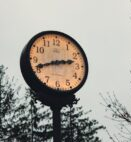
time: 2:41
